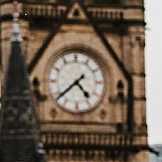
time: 4:38
